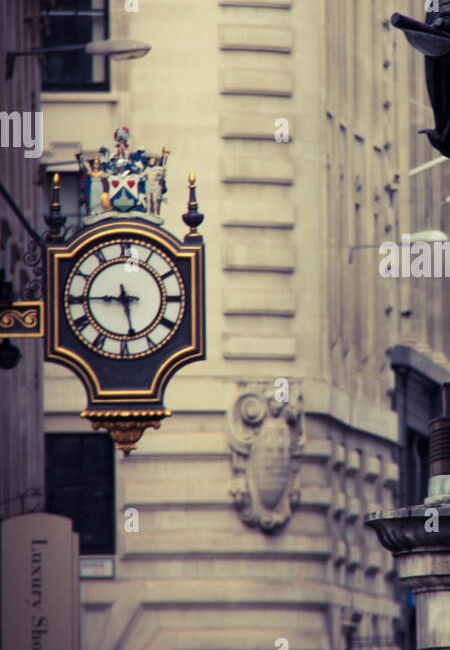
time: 5:44
